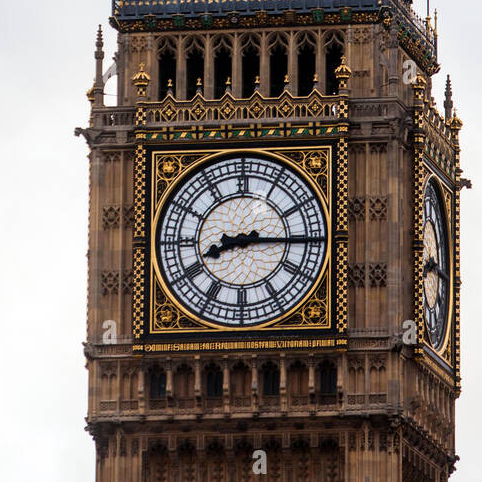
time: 8:15
